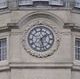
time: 1:27
